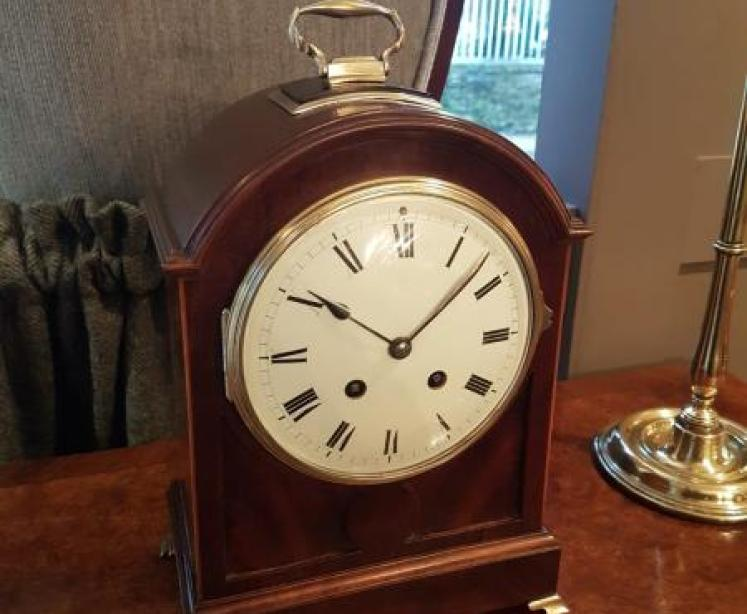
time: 10:07
